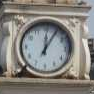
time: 12:05
